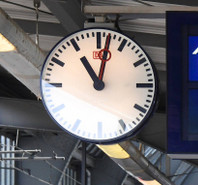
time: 11:02
